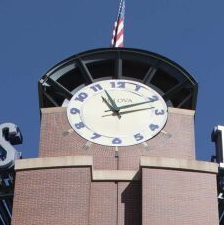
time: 11:12
